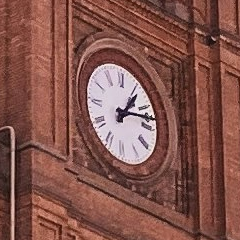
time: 1:12
